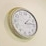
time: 1:13
